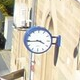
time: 3:44
